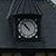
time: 10:52
